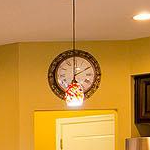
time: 1:59
